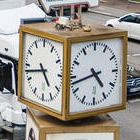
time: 4:42
